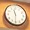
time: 11:30
